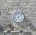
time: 7:08
